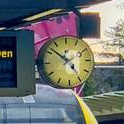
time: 4:52
